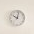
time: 10:02
